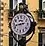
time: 8:42
